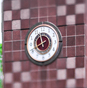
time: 11:41
